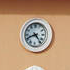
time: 4:41
